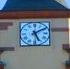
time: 5:09
